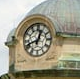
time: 12:41
